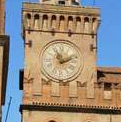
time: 11:11
